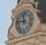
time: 11:46
